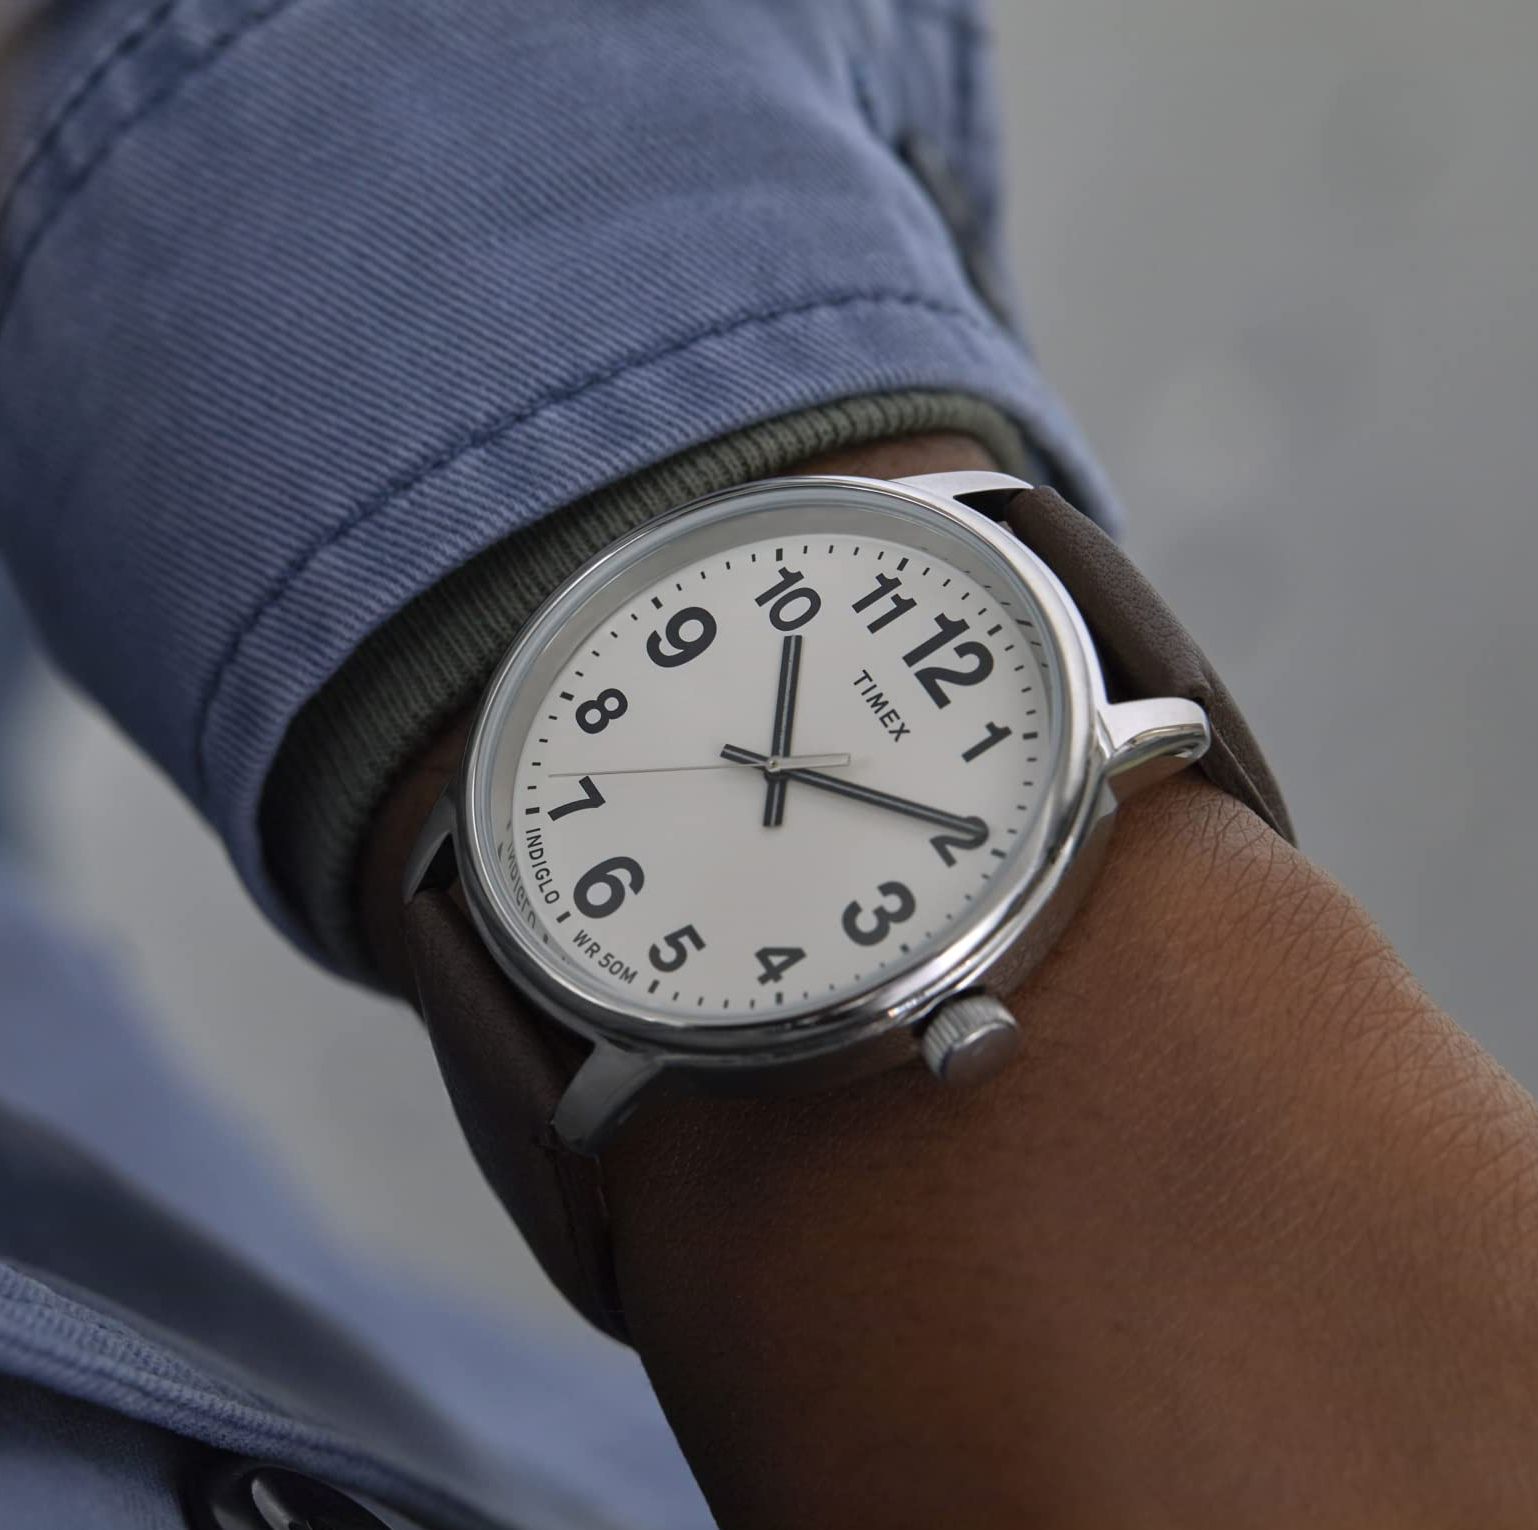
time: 12:19
